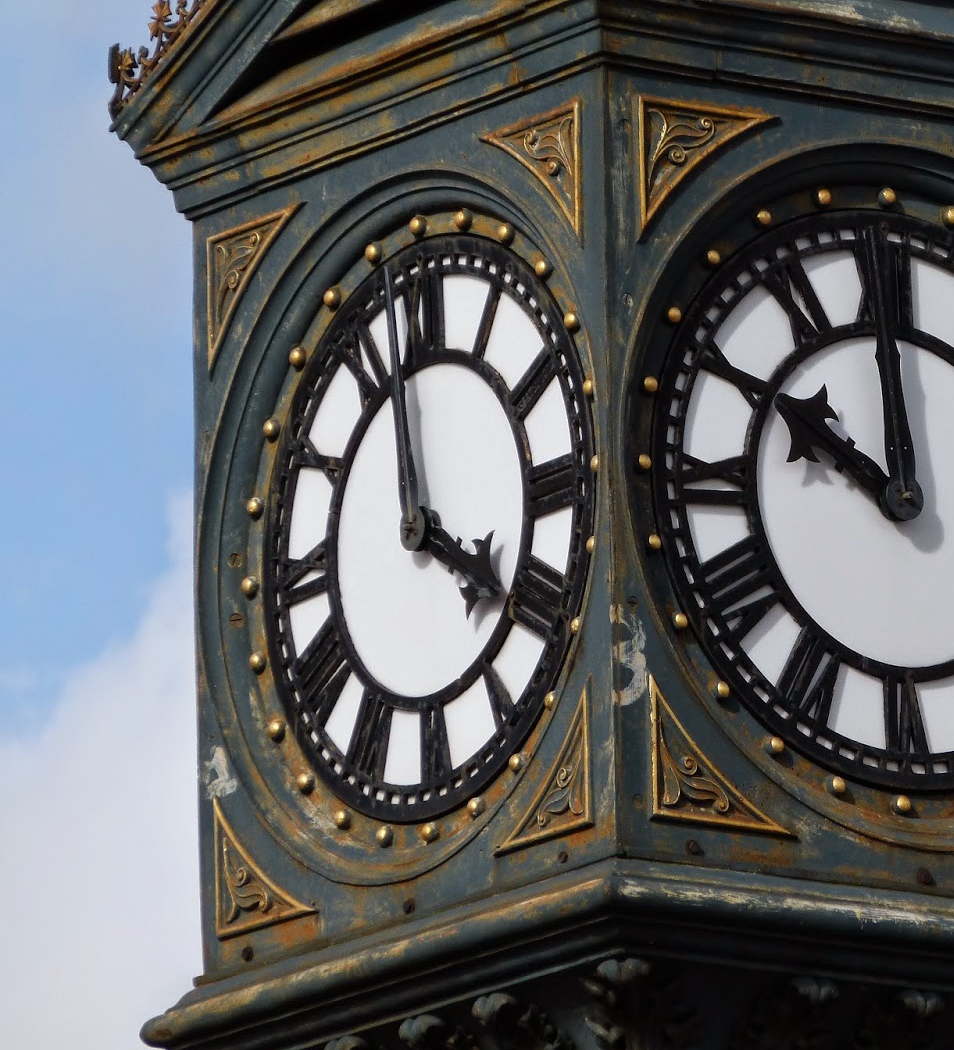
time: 3:58
